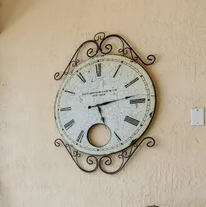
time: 5:13
